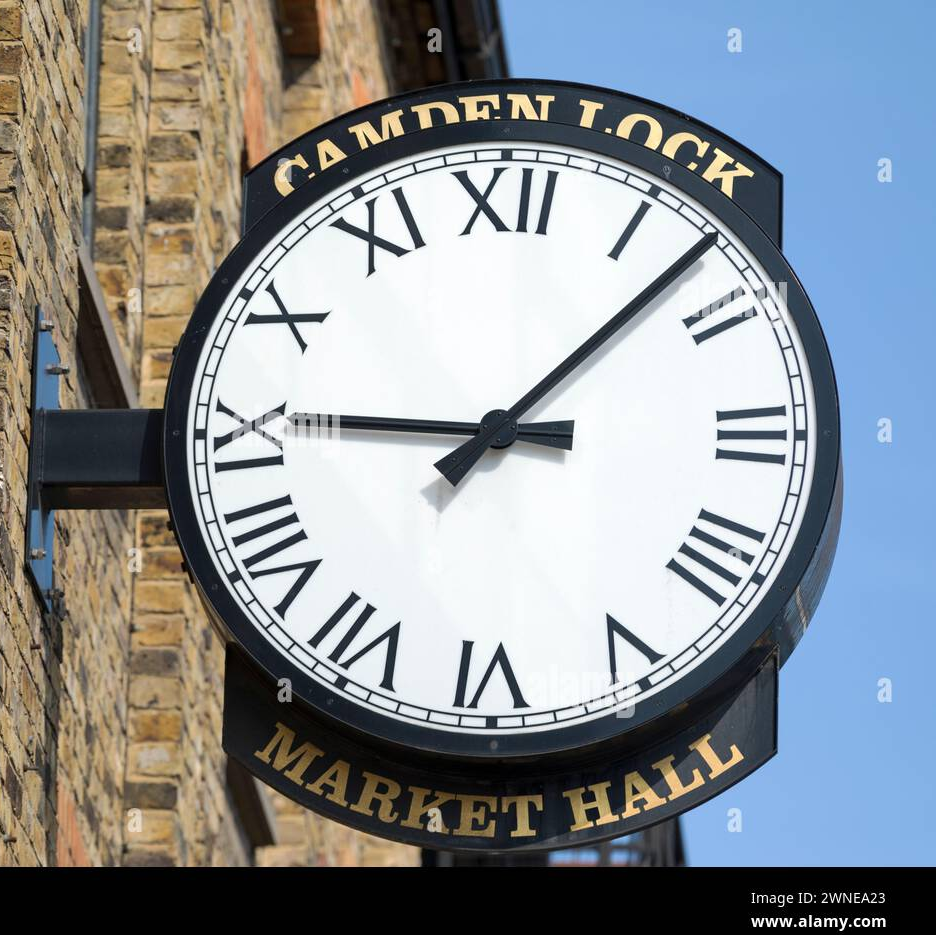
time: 9:07
